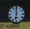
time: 5:59
